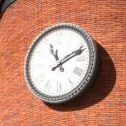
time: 11:11
